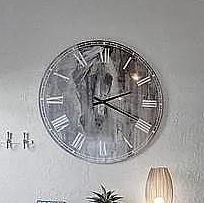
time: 2:19
